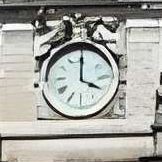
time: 4:00
